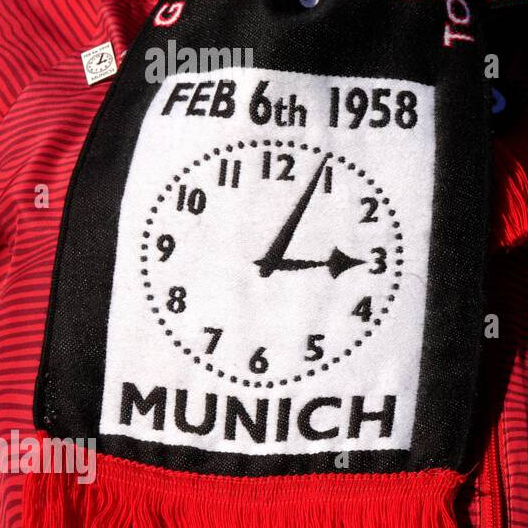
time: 3:04
